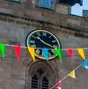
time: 10:17
